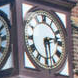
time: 2:29
